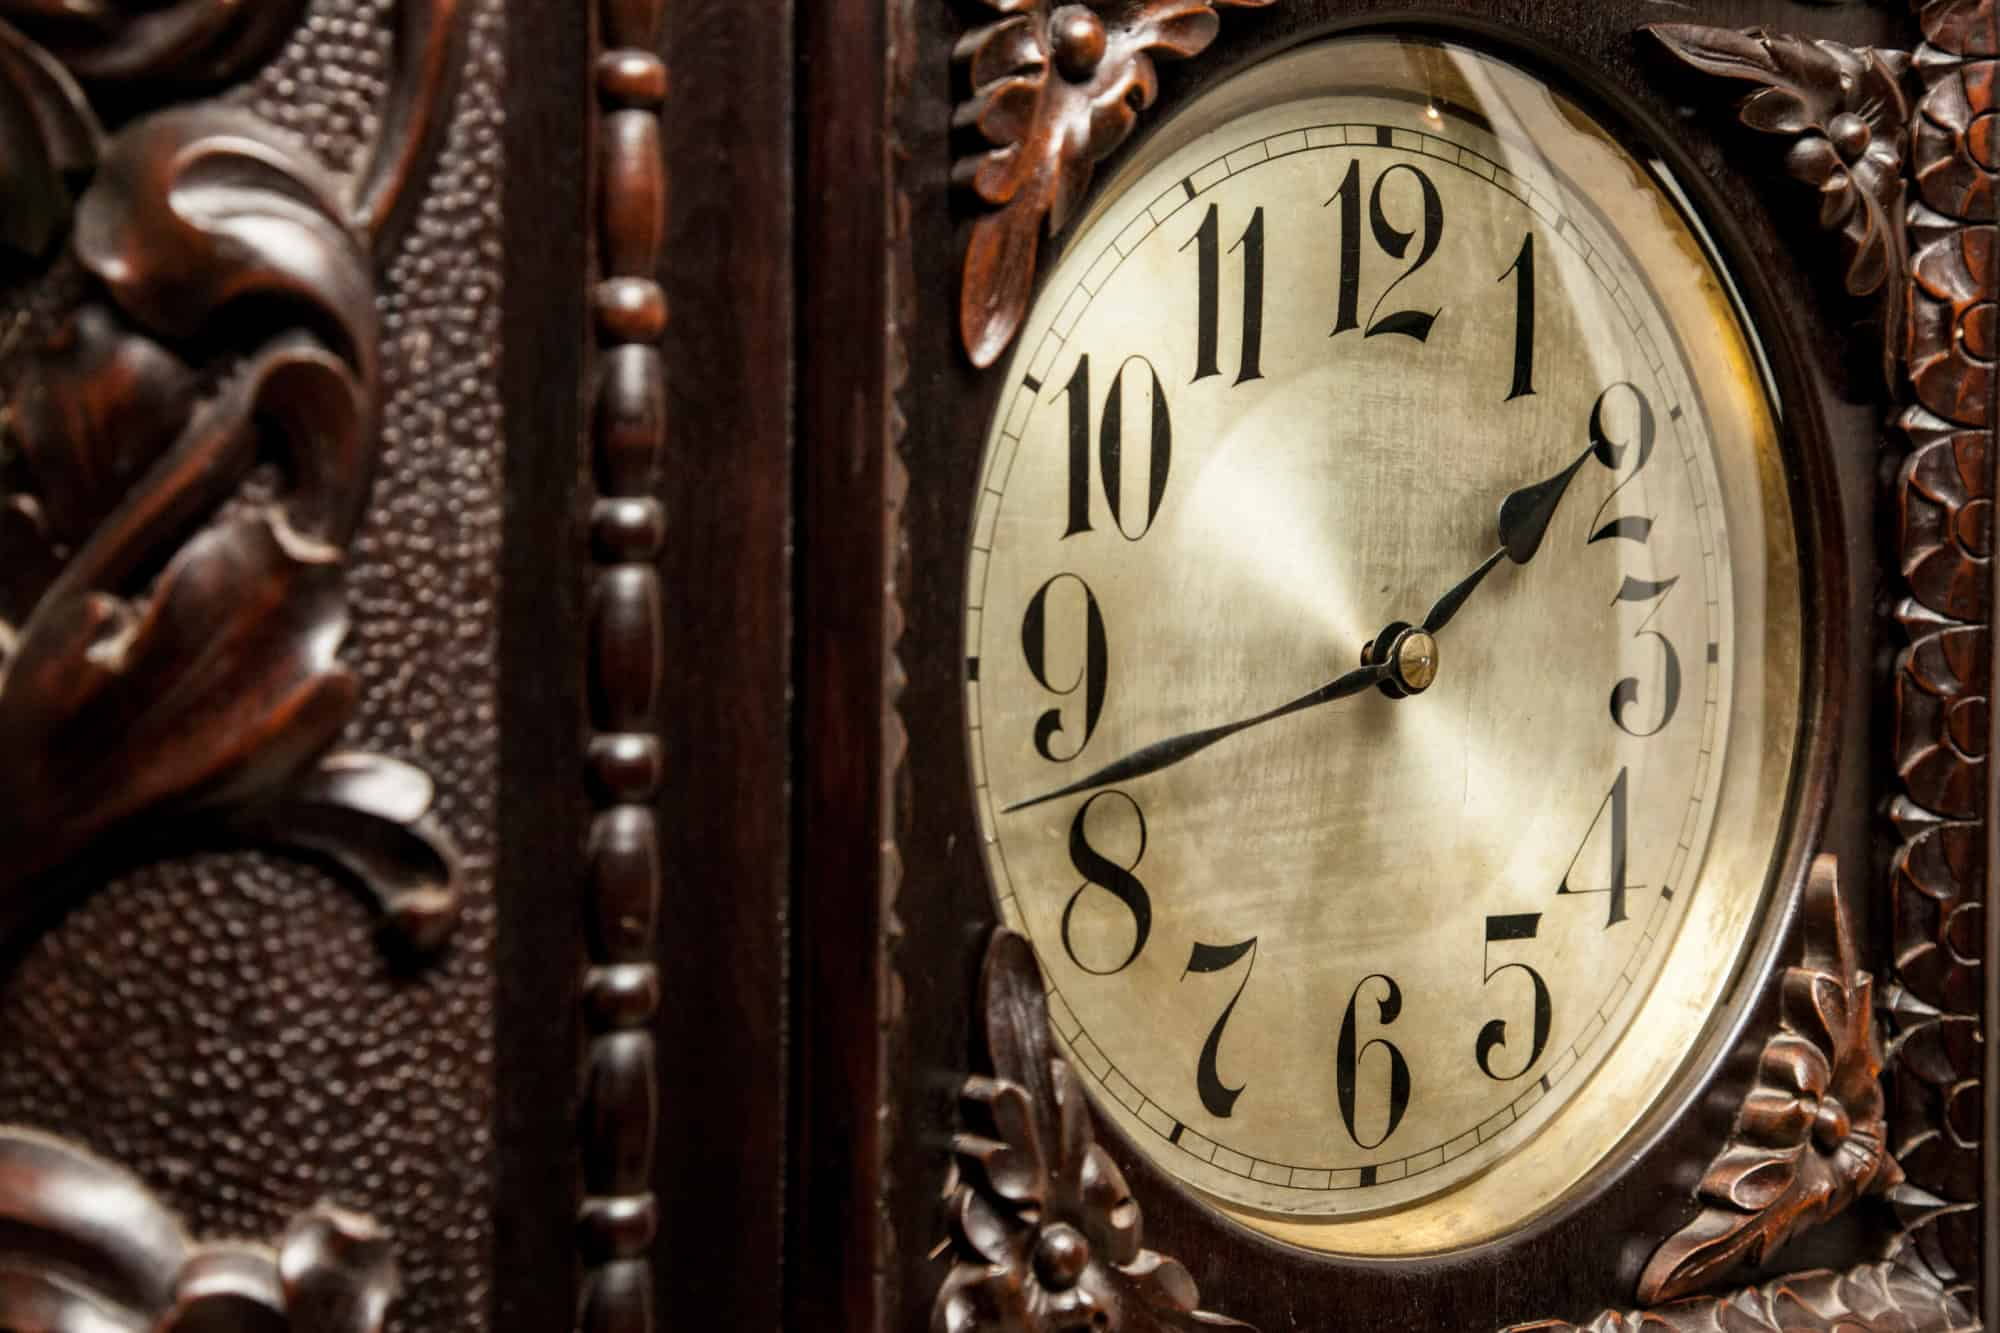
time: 1:42
